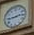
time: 2:44
